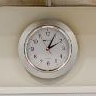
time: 2:04
